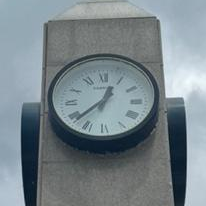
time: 12:38
